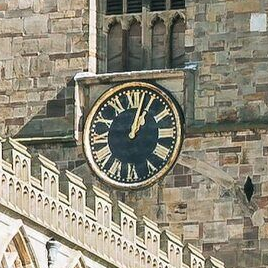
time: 1:02
